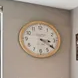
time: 3:20
